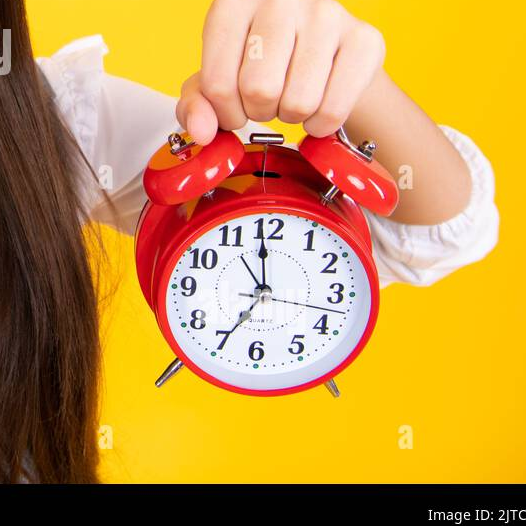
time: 6:59
